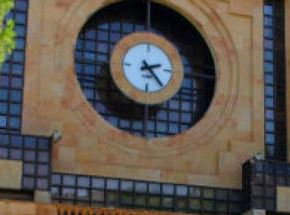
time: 2:23
